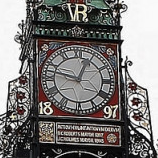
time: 12:47
